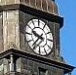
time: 9:36
